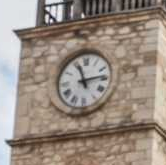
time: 11:13
